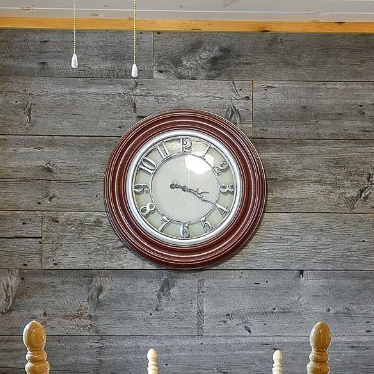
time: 3:19
